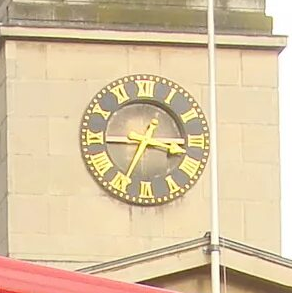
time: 3:34
